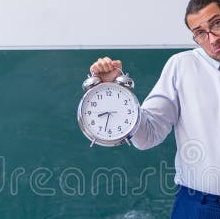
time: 8:32
